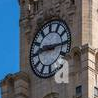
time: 9:15
